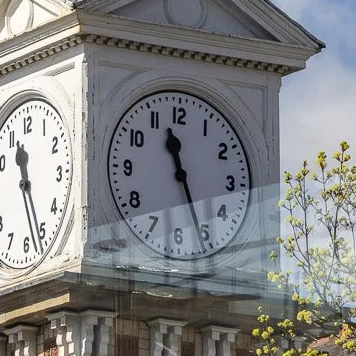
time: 11:26
